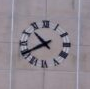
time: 10:39
